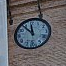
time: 11:53
